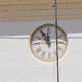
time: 11:54
